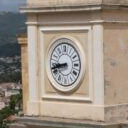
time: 8:42
